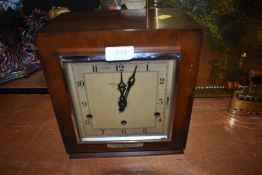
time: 12:03
